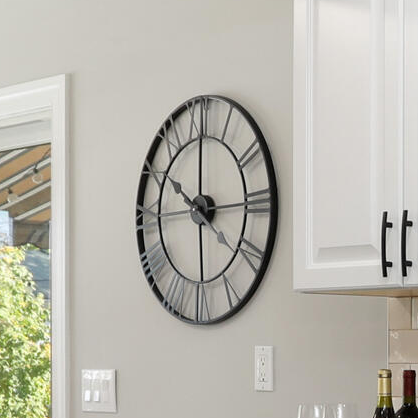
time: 10:00
